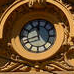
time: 11:42
